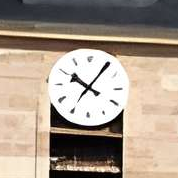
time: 10:05
